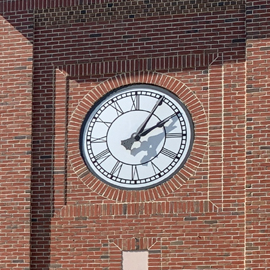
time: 2:05
